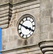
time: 3:50
